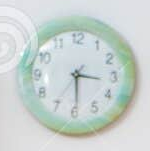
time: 3:29
